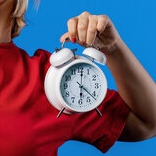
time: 6:00
